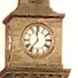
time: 11:36
